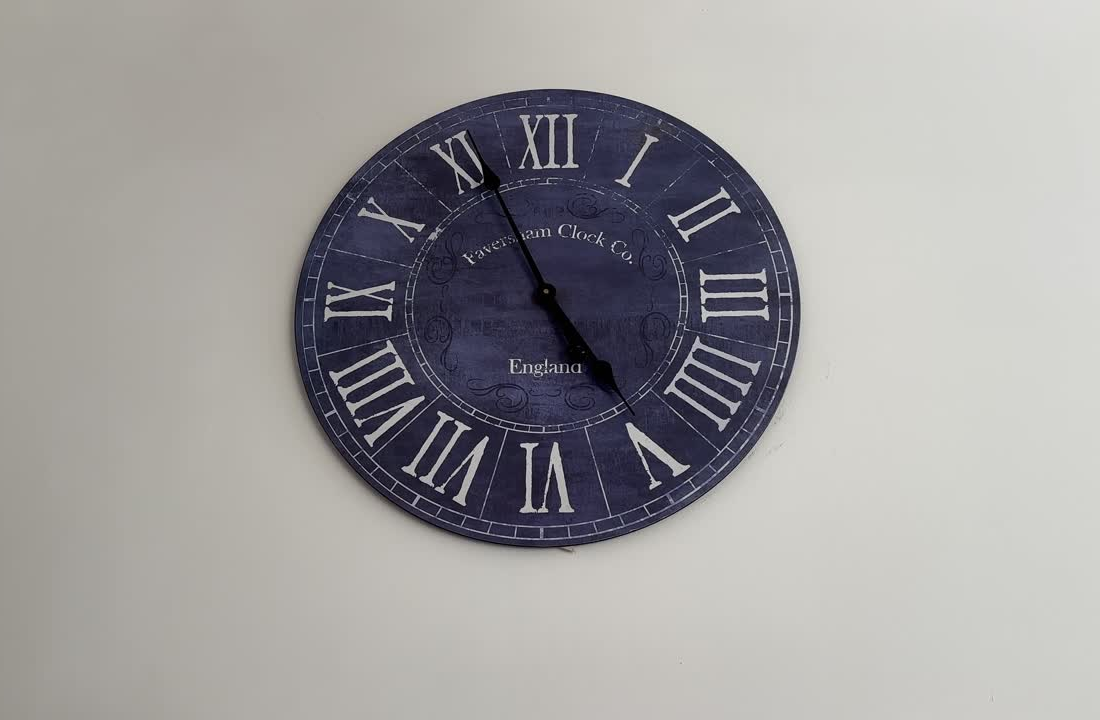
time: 4:55
